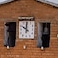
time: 9:59
